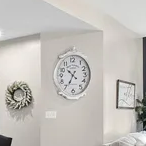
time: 10:34
